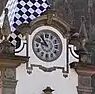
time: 10:48
